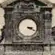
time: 3:20
